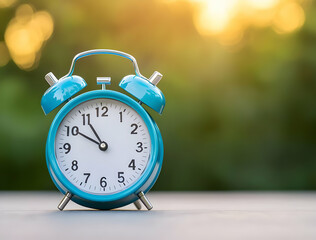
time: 10:50
